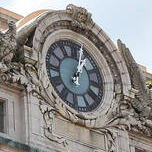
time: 1:02
